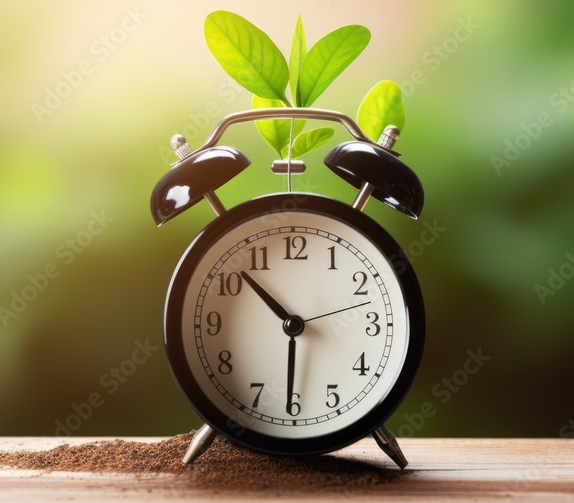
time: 10:30
